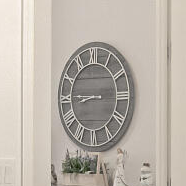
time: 8:45
